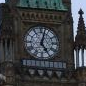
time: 5:02
